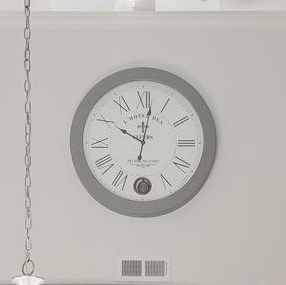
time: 10:01
